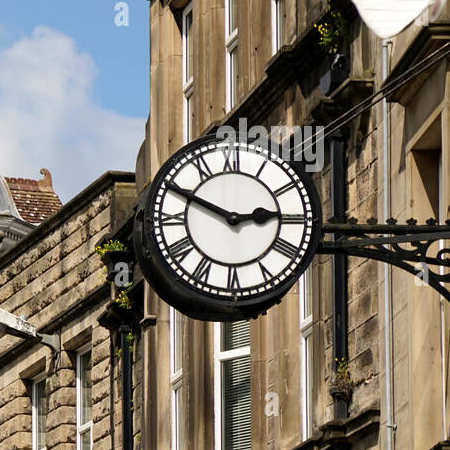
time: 2:49
